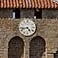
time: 4:42
